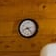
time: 8:23
